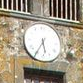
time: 5:35
